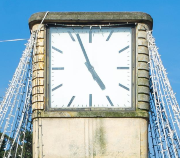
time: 4:56
